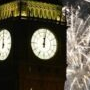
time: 12:01
